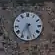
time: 7:27
